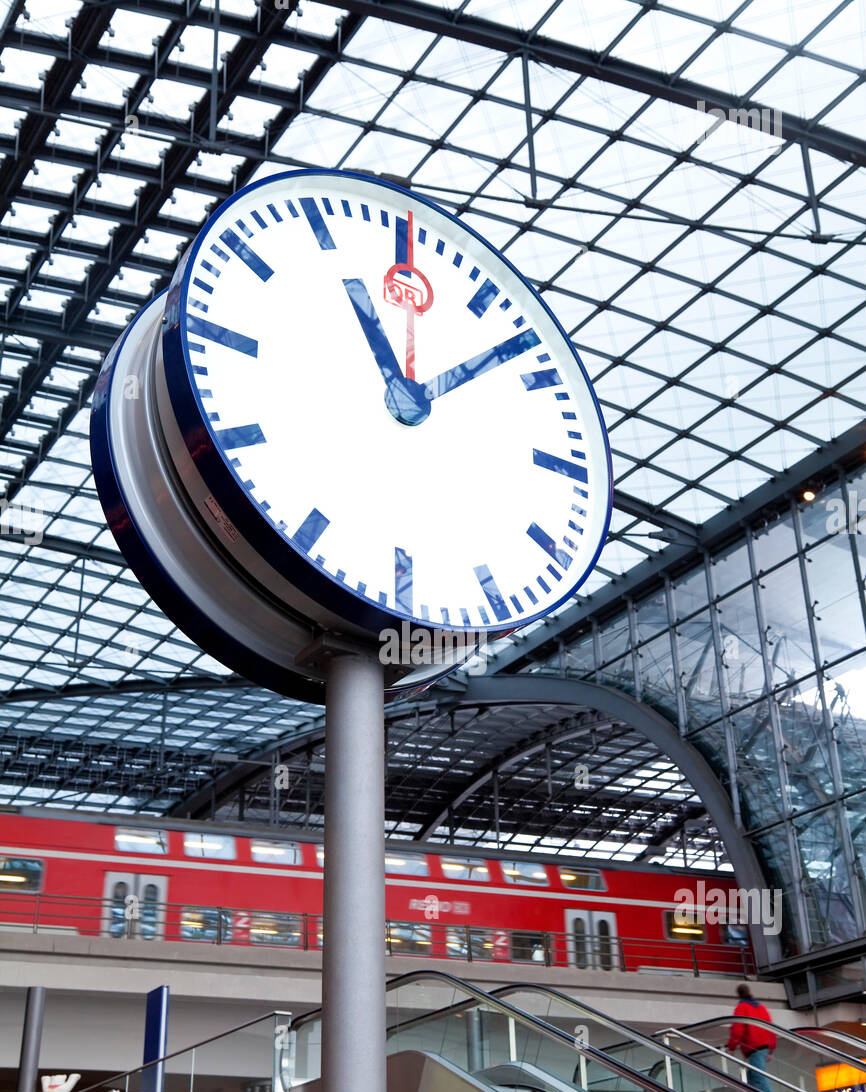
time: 11:07
